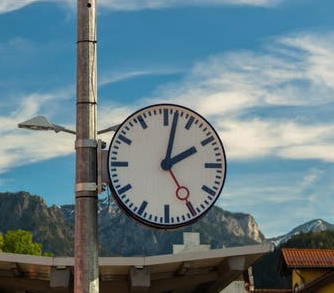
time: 2:02
